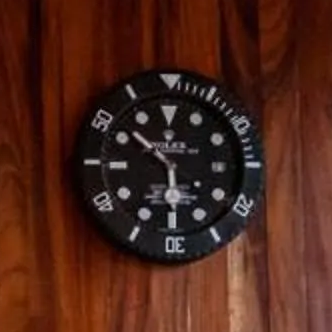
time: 5:51
